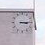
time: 3:15
